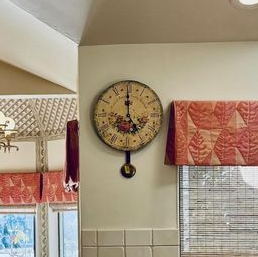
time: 4:59
